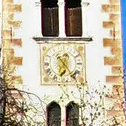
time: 6:23
